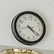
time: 4:19
